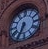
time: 6:34
